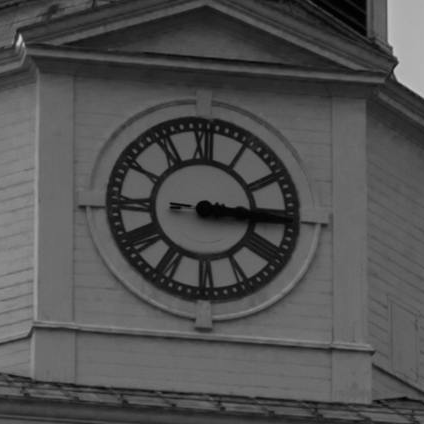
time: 3:15
